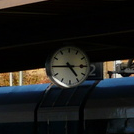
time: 4:45
